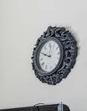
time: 9:49
